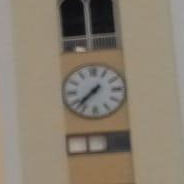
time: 7:37
